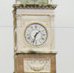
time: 1:33
